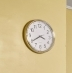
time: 3:40
